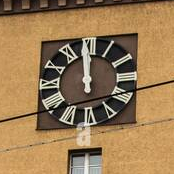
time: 11:58
